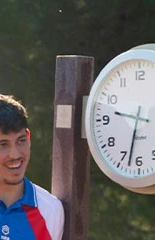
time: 9:32
